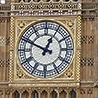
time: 12:49
